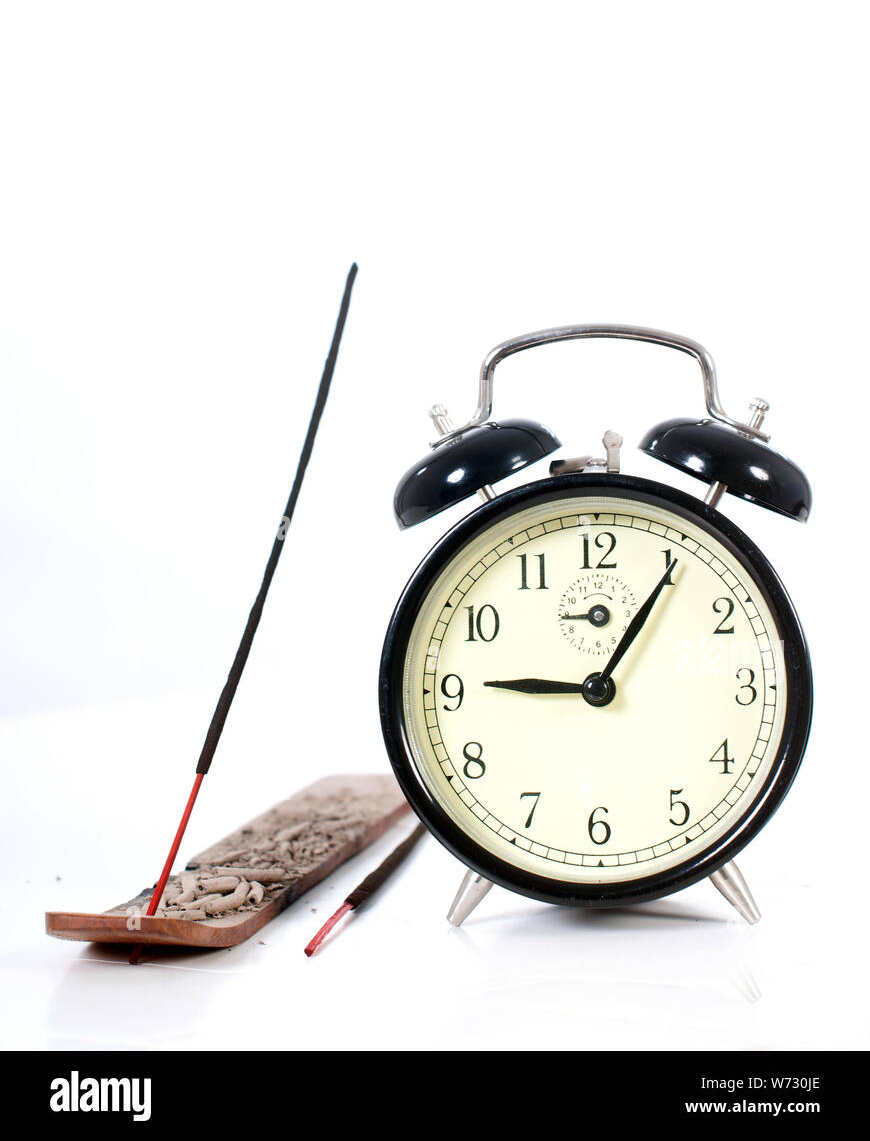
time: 9:05
